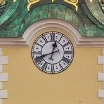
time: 12:41
